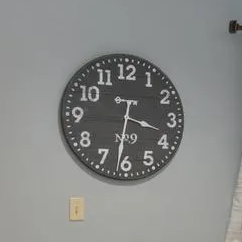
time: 3:31
